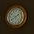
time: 1:39
